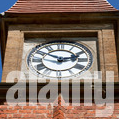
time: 2:50
